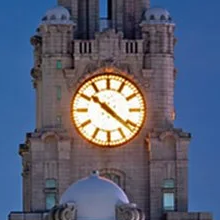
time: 10:21
